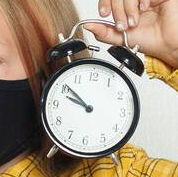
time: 9:51
